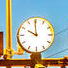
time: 9:59
